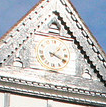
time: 1:18
